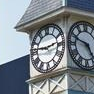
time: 2:46
